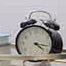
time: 4:16
